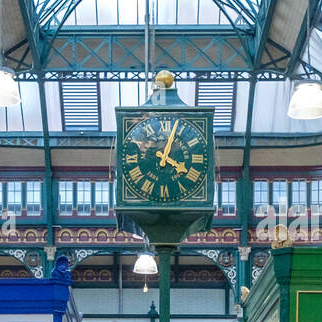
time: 4:03
